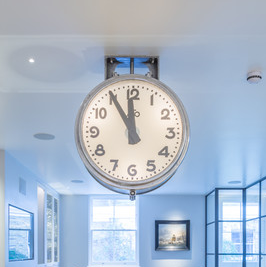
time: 11:55
